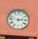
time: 2:47
